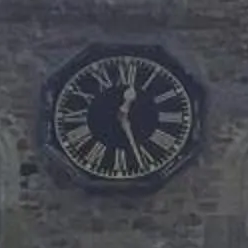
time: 12:26
